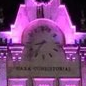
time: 8:36
